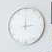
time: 12:13
